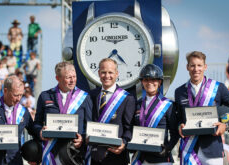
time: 4:38
